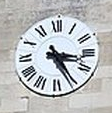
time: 3:24
